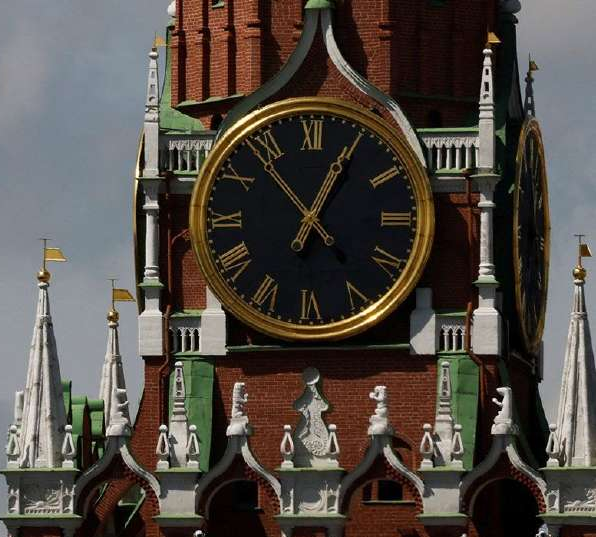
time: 12:53
